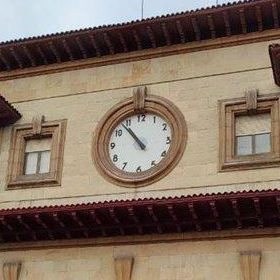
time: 10:53
